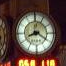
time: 8:20
